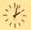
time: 2:02
